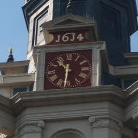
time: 10:31
